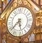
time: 5:38
